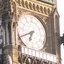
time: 6:40
